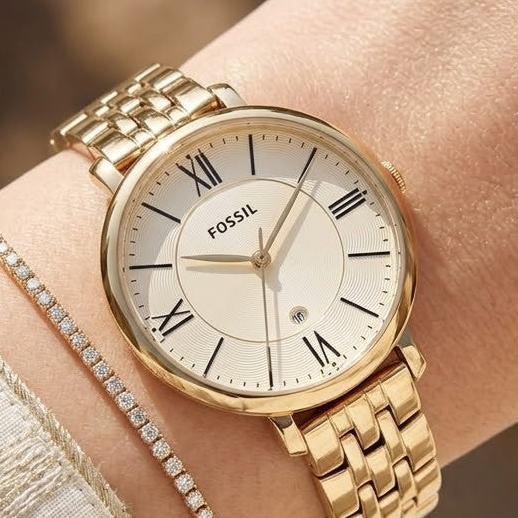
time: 9:05
